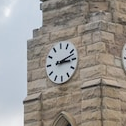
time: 3:12
